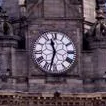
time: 11:32
